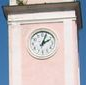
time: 2:03
